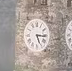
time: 5:15
